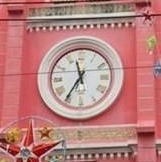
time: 11:35
